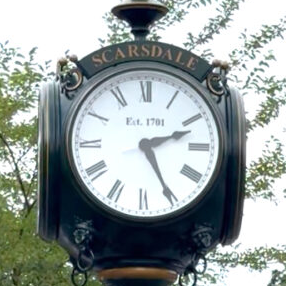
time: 2:25
